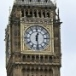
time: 12:28
